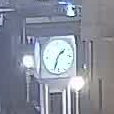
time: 1:33
